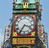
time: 3:35
